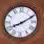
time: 8:10
